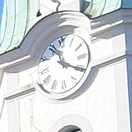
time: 11:20
